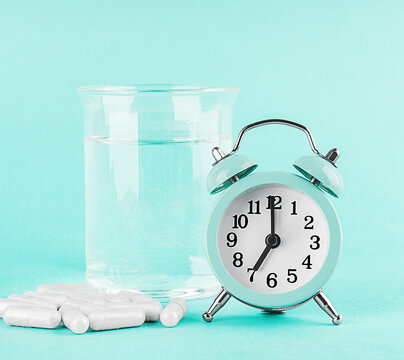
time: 6:59
